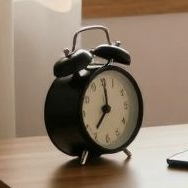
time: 7:00
